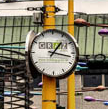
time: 1:16
